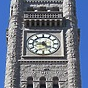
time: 4:42
